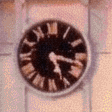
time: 5:17
